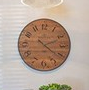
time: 2:21
